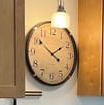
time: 1:51
